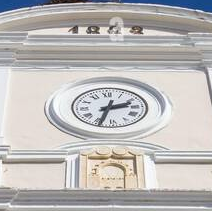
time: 2:33
